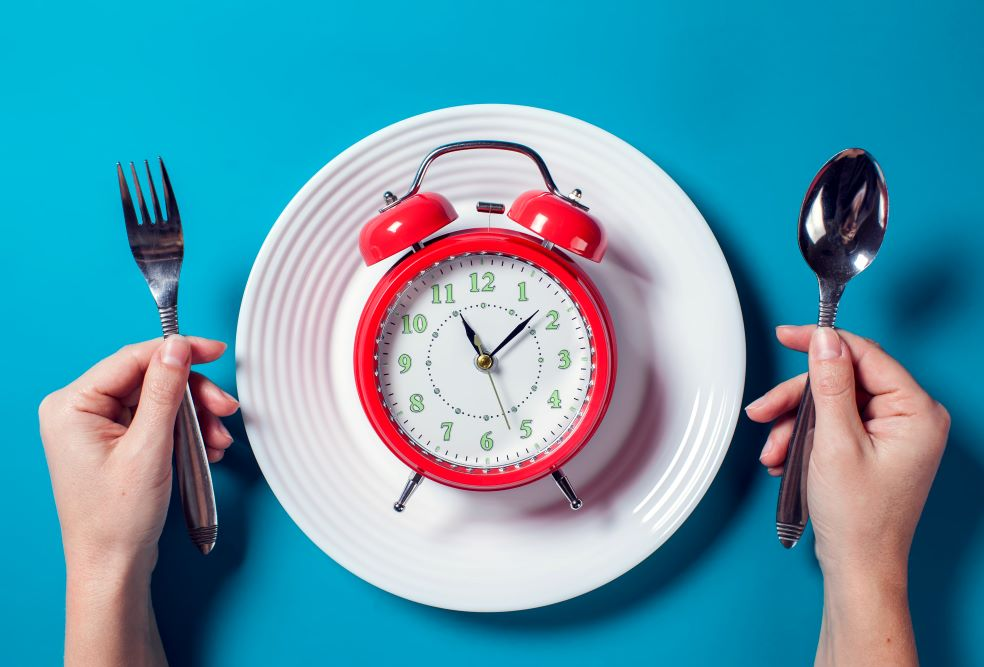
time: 11:08
